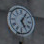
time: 5:05
